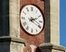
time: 2:19
